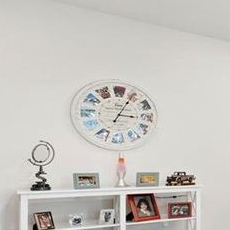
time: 3:04
